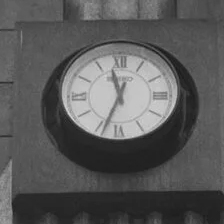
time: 11:33
